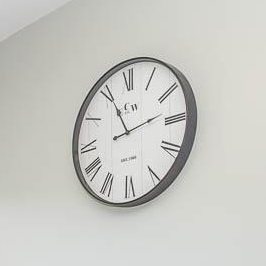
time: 11:12
